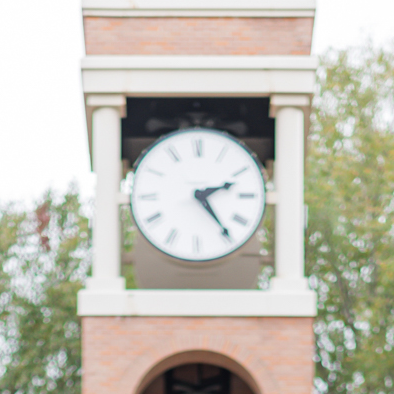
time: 2:24
